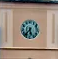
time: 5:36
